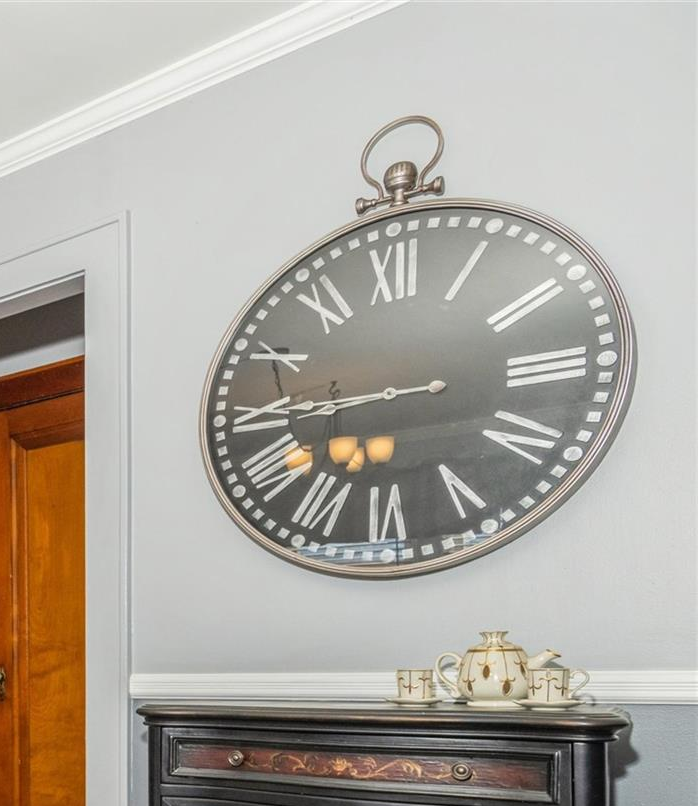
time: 8:45
